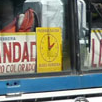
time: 2:00
